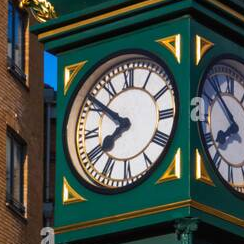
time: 7:51
